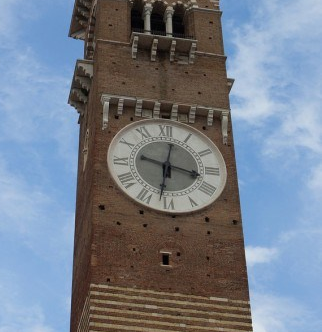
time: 3:31
